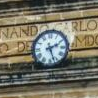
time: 2:26
